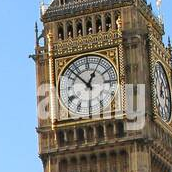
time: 12:52
